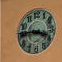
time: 3:45
